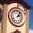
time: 2:06
